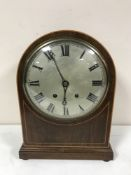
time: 5:55
